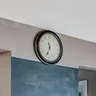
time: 11:33
